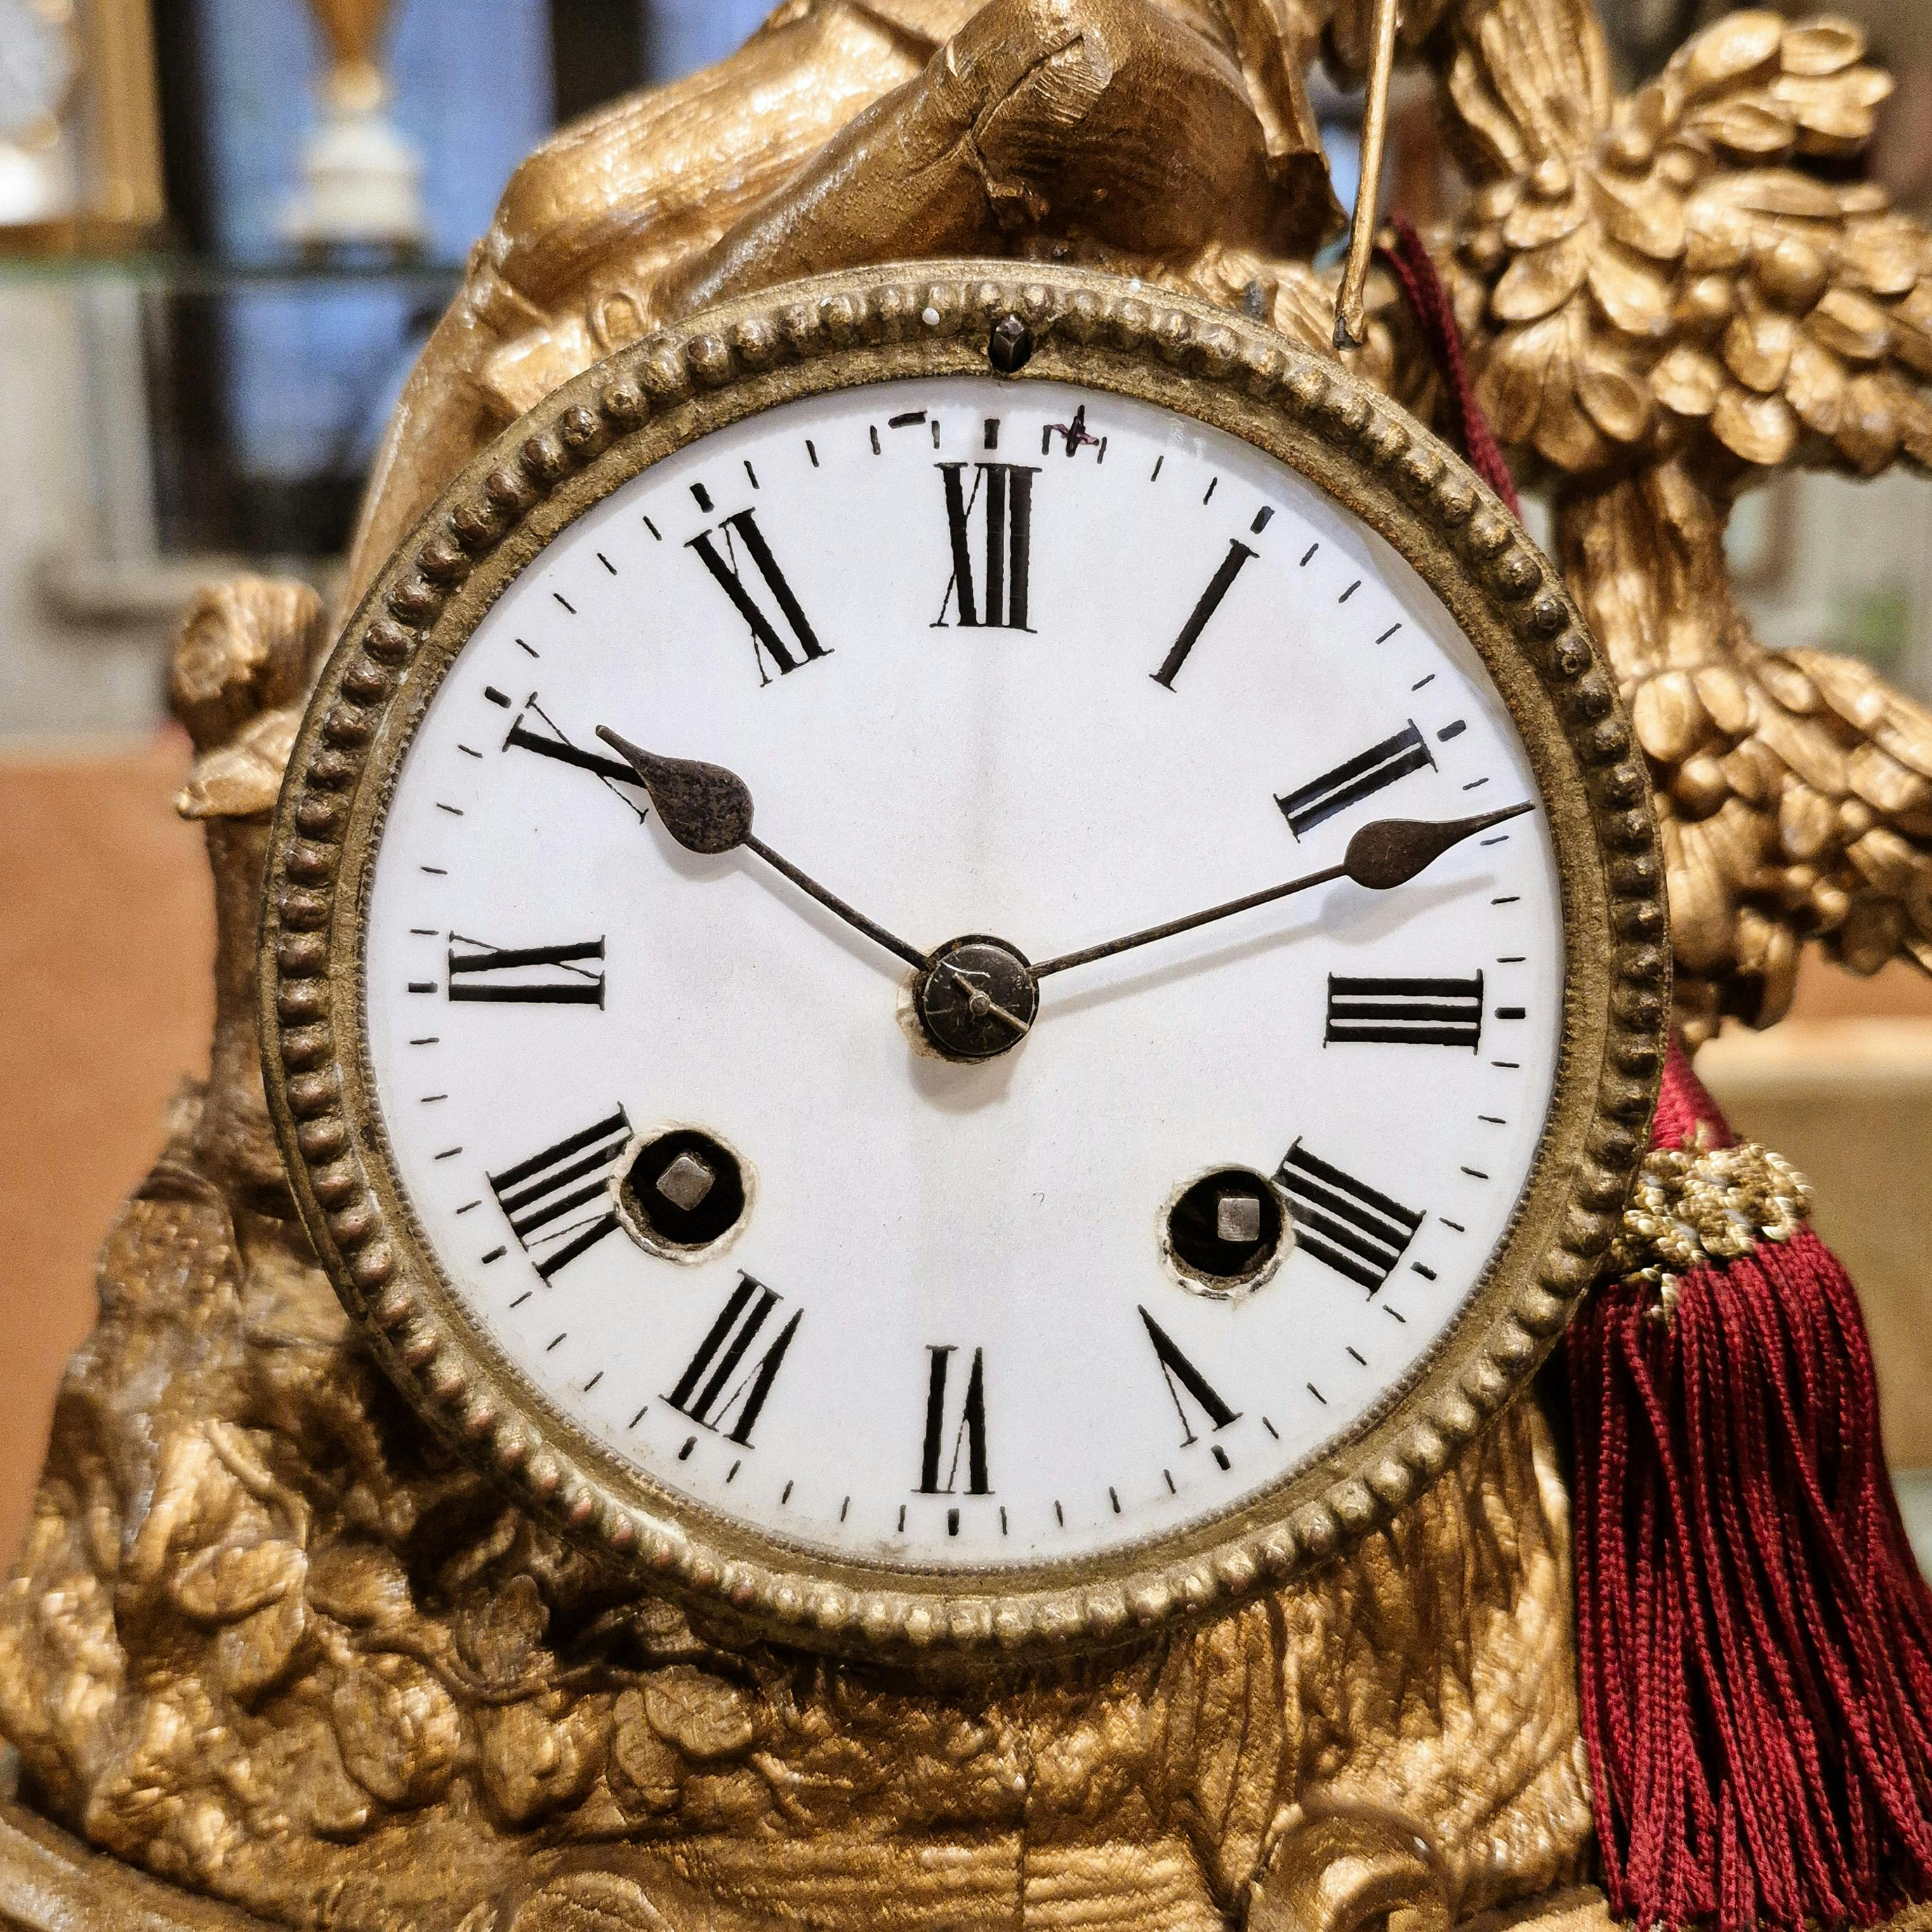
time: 10:11
